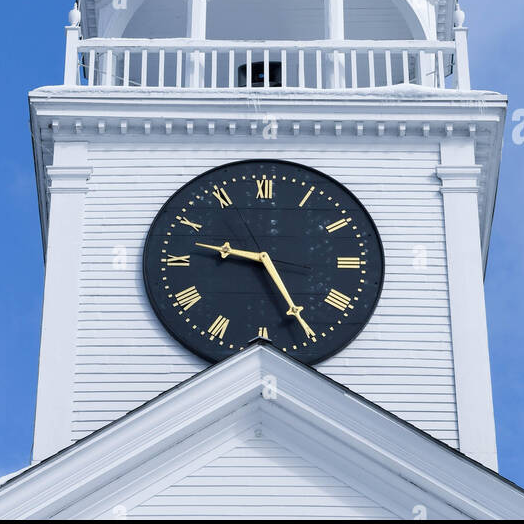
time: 9:25
